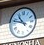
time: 10:47
